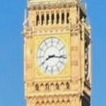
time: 8:16
